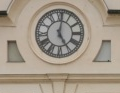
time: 5:01
